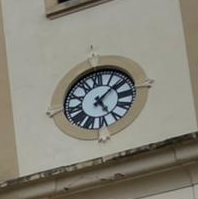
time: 5:08
